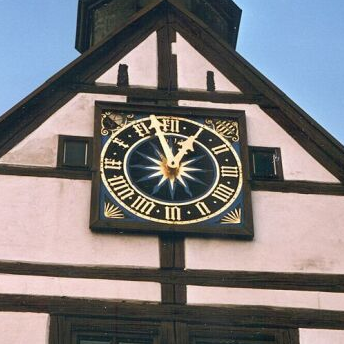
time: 12:57
